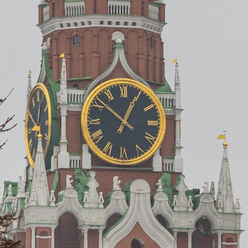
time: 12:51
